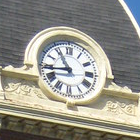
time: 10:43
